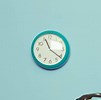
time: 11:21
